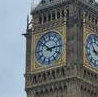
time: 2:52
